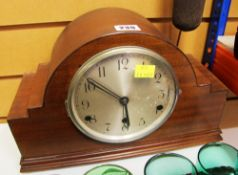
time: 5:51
